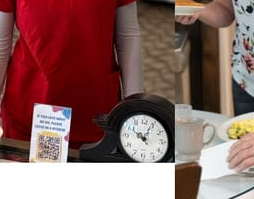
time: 10:04
